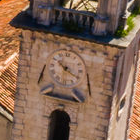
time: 10:20
